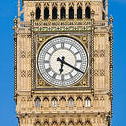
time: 6:19
